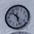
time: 10:26
